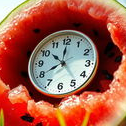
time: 8:00
